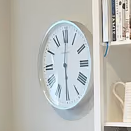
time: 6:00
